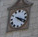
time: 4:18
